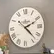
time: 2:22
